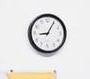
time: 9:05
